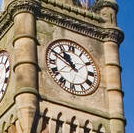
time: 10:50
